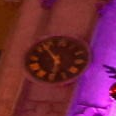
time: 5:54
